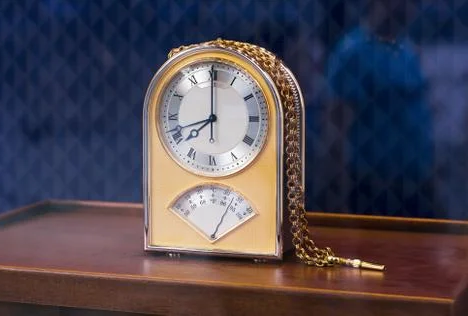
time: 7:59
